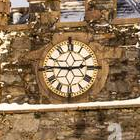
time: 2:45
